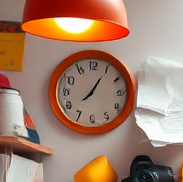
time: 1:05
